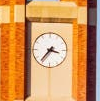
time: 3:36
